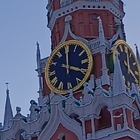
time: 4:00
